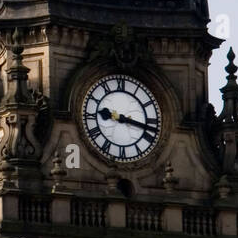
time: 9:17
